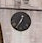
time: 12:34
